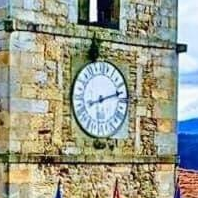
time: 8:11
